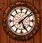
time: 5:08
